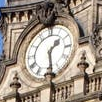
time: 1:28
